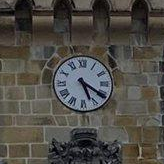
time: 5:20
